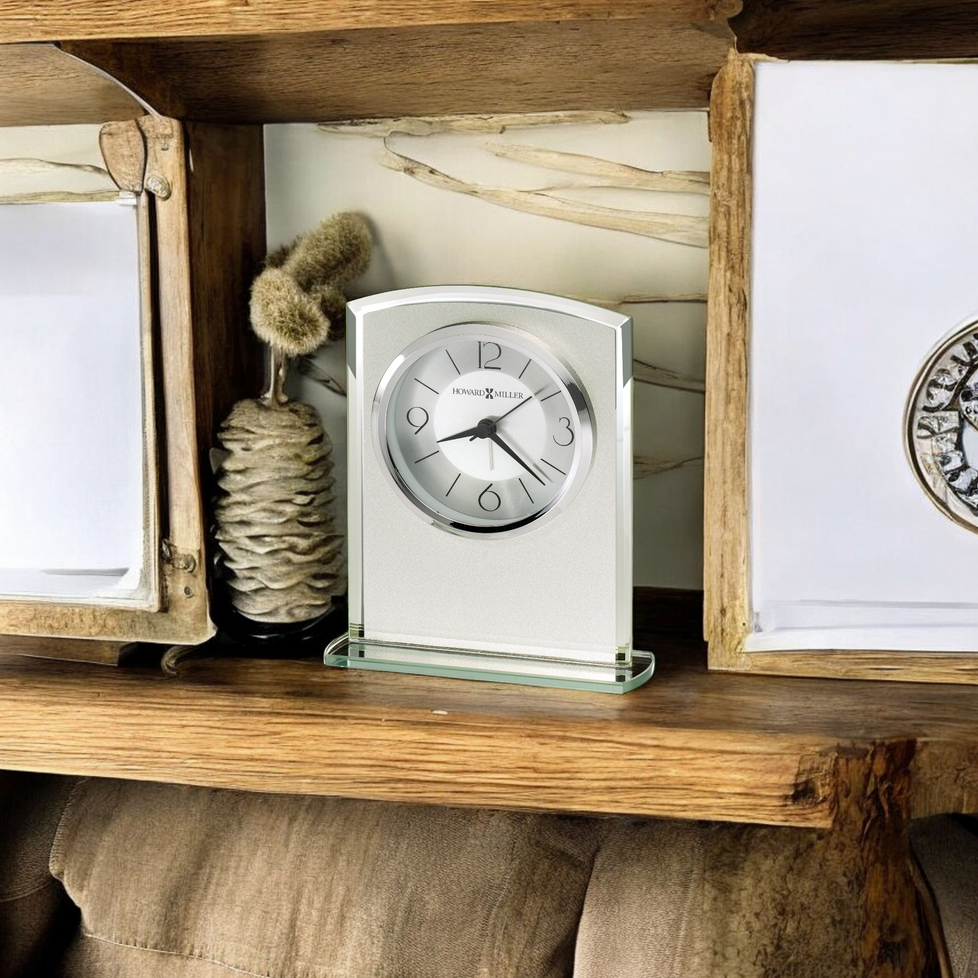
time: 8:21
